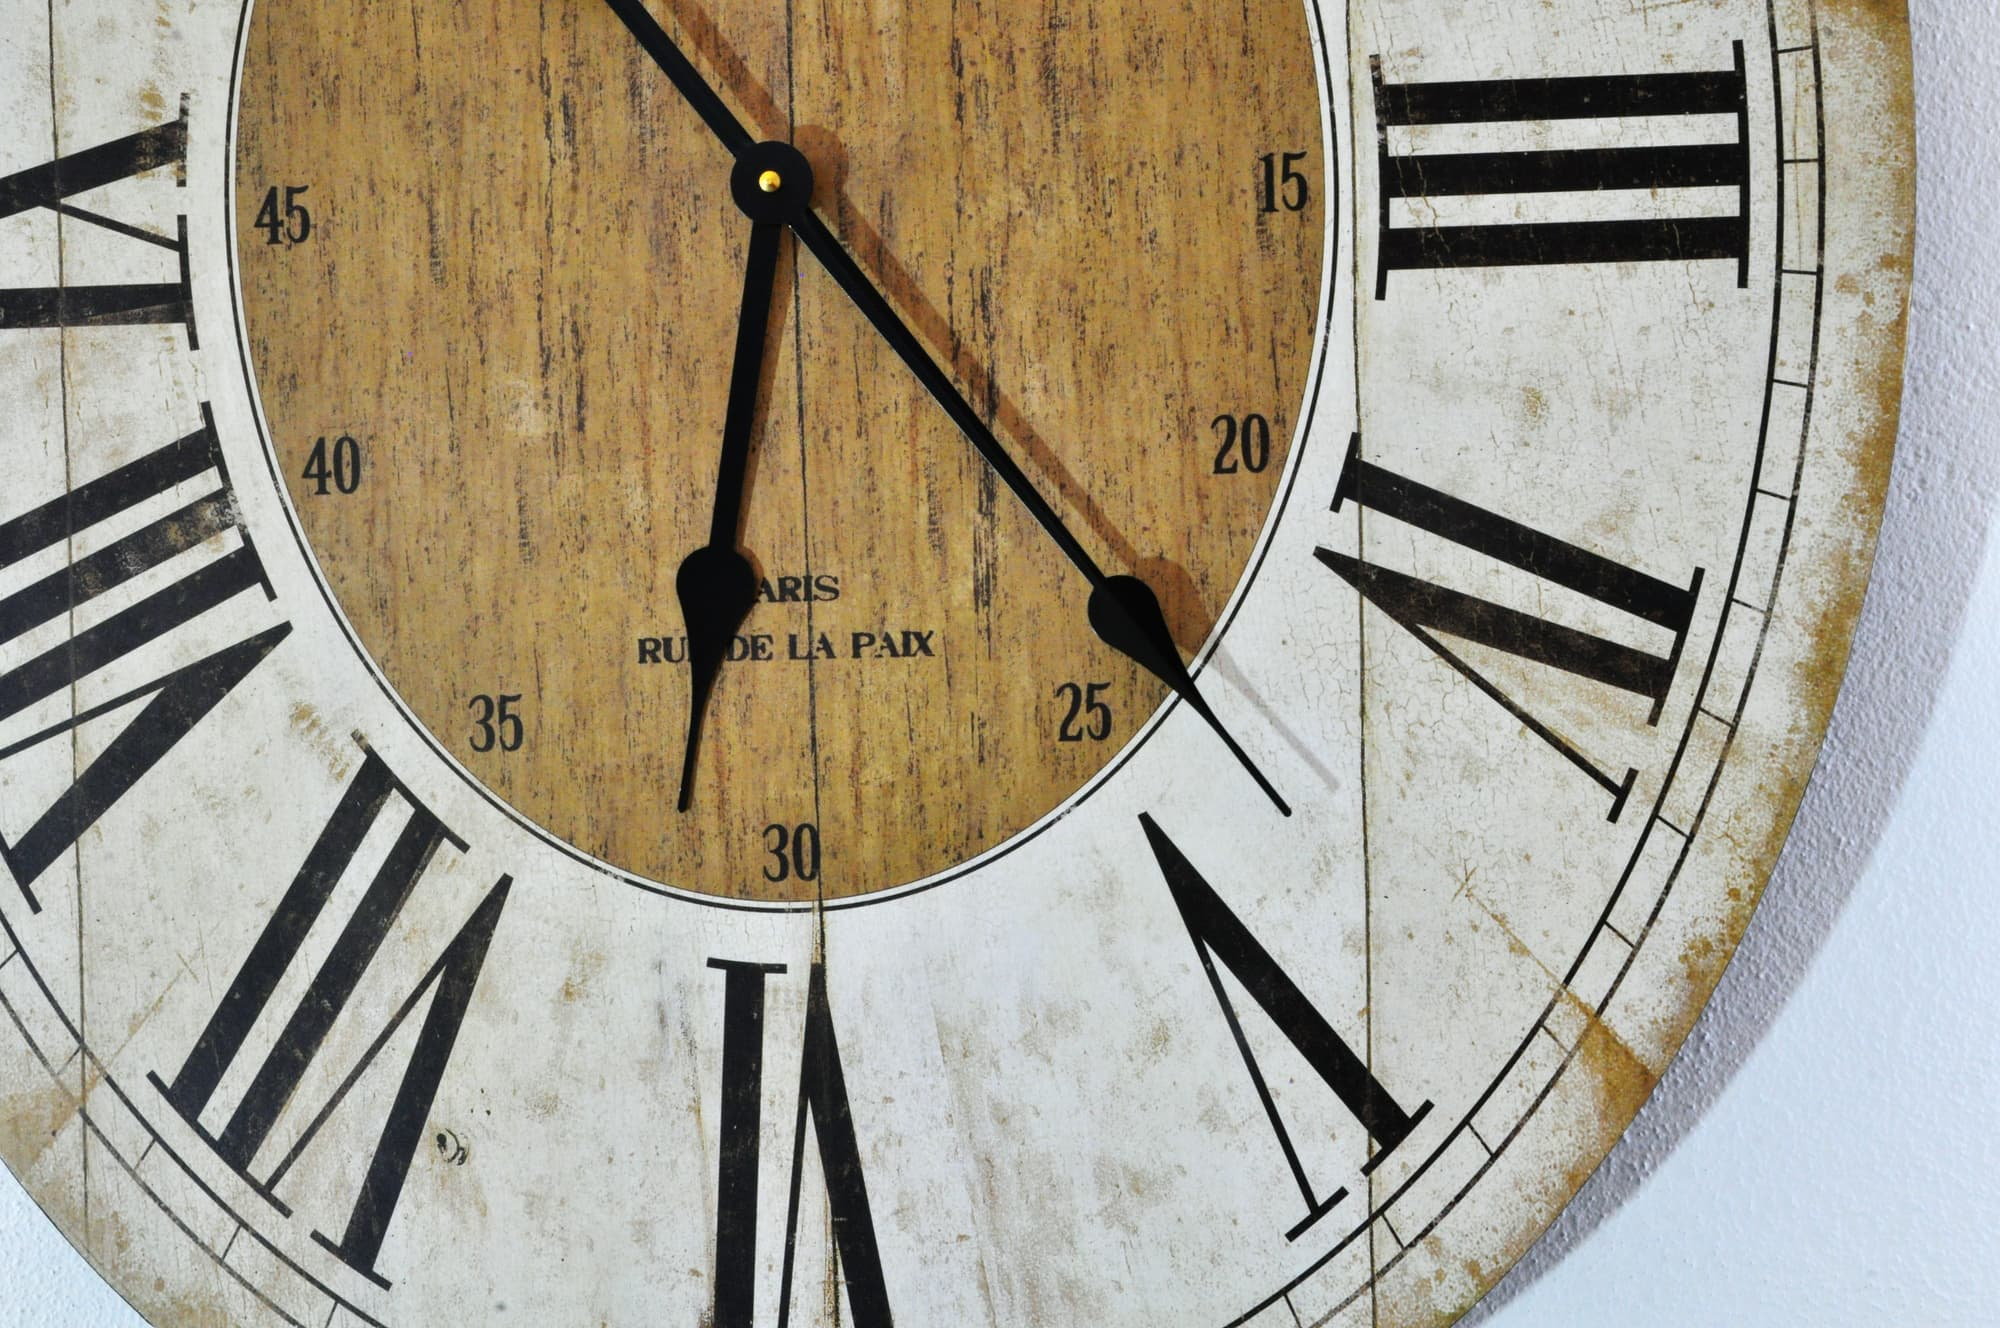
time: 6:23
